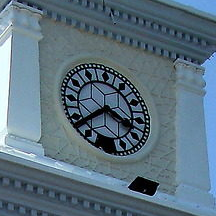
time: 3:38
